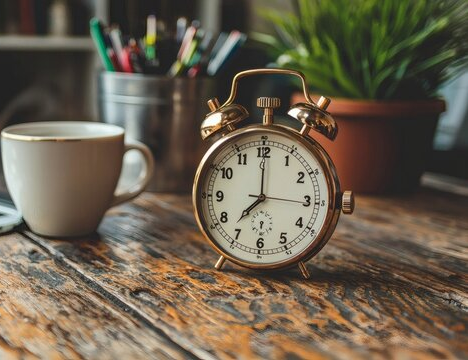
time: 7:00
